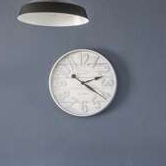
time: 2:21
